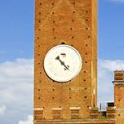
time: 4:22
